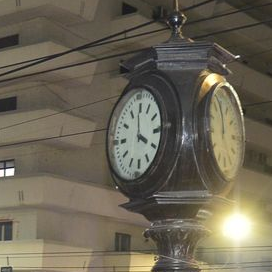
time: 3:59
